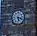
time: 5:18
